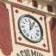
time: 12:05
